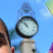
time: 10:51
